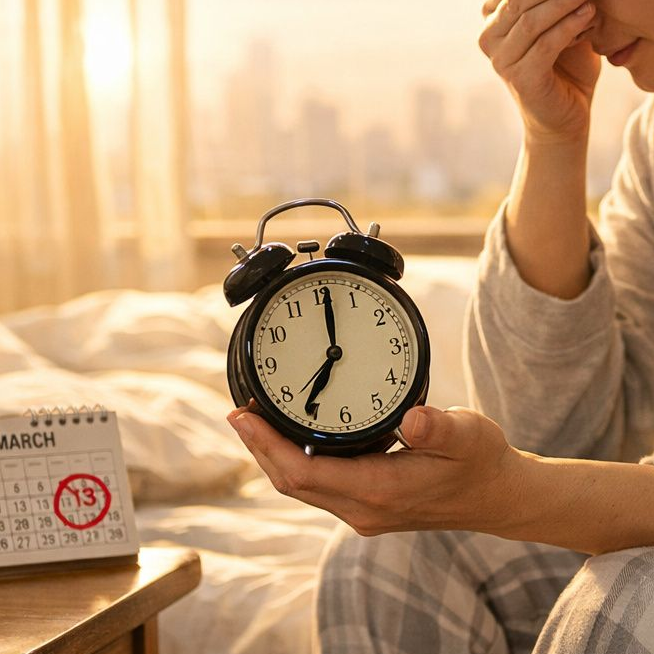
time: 7:01
